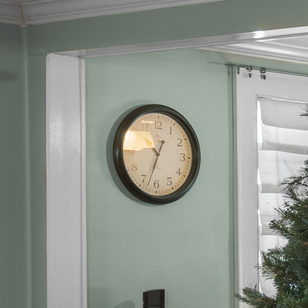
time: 10:32
